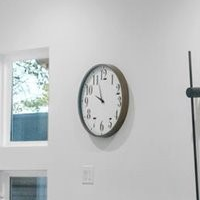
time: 9:56
